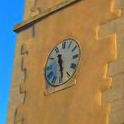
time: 11:28
